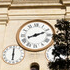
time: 8:11
